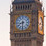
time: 8:31
